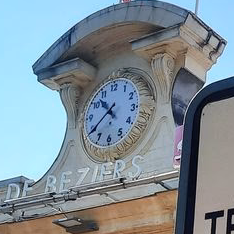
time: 10:39
